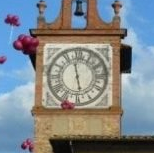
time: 5:58
